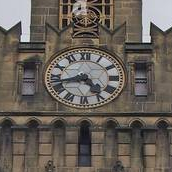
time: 4:42
